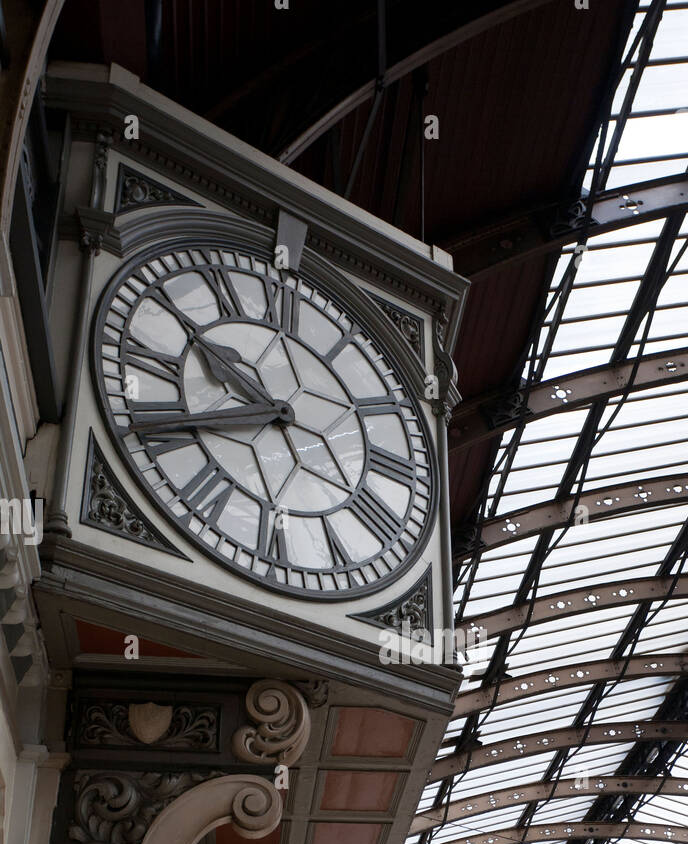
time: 9:40
